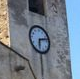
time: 6:12
